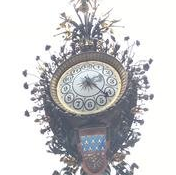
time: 2:21
